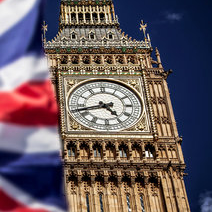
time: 4:42
